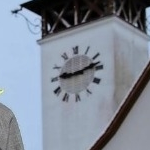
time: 9:12
